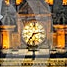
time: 7:15
